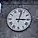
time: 3:02
